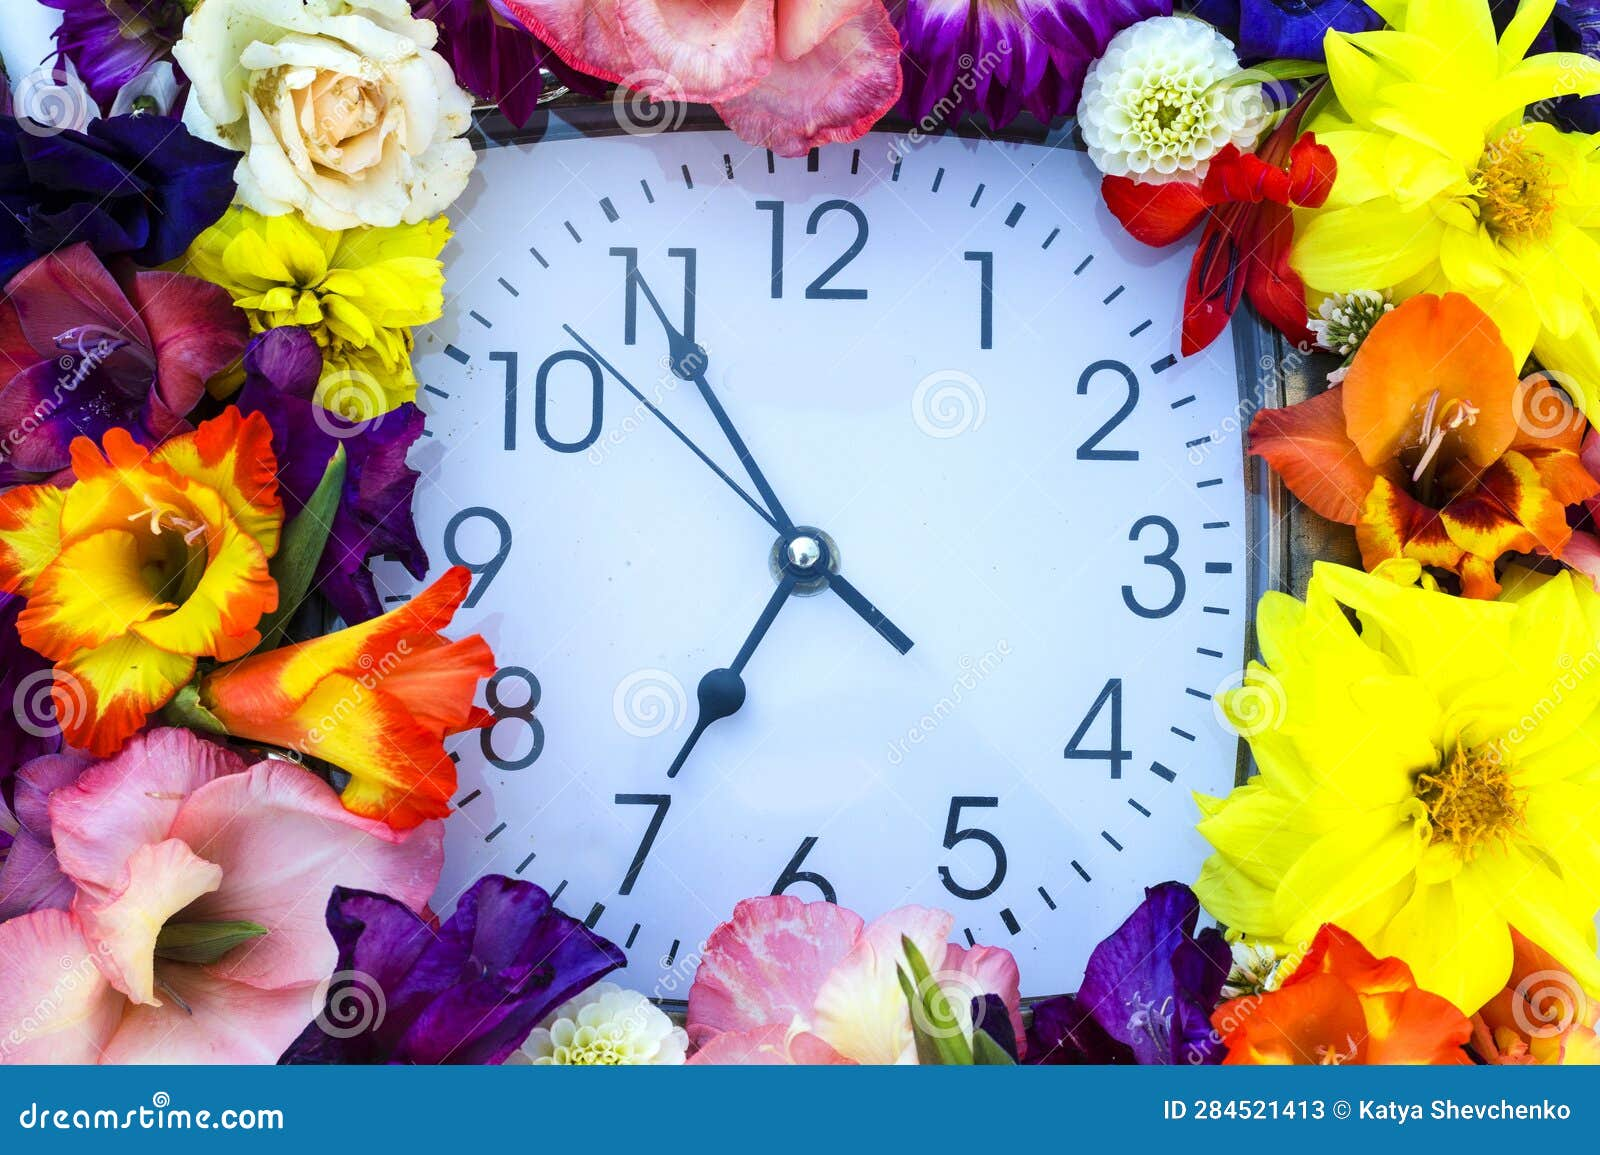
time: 6:54
